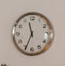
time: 11:34
